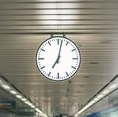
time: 7:01
